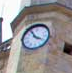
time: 3:54
